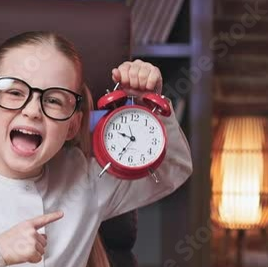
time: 9:35
